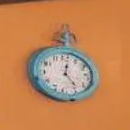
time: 12:23
